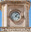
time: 4:07
